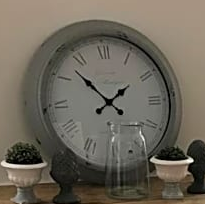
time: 1:52
